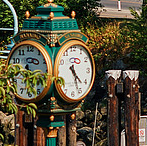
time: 4:26
